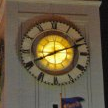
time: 8:11
